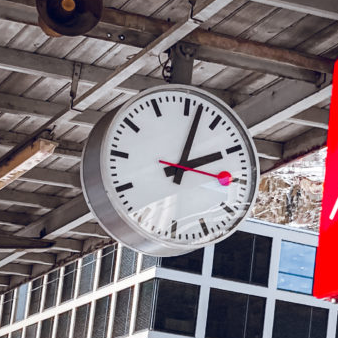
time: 2:02
